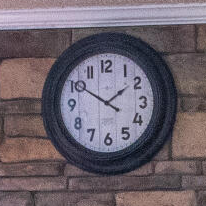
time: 1:50
